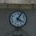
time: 4:04
